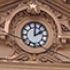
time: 2:00
